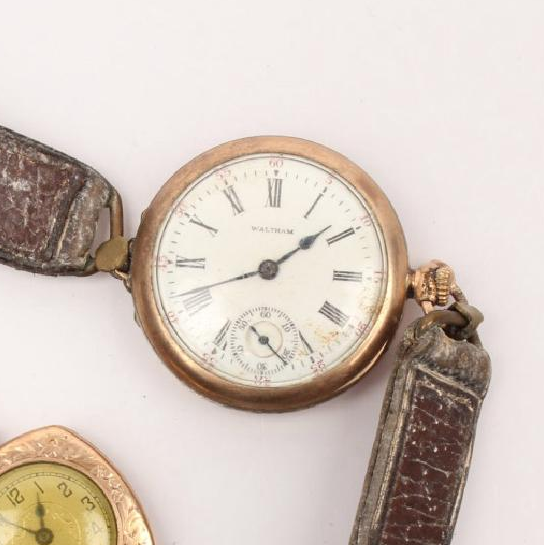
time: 1:41
